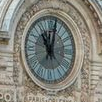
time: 11:02
